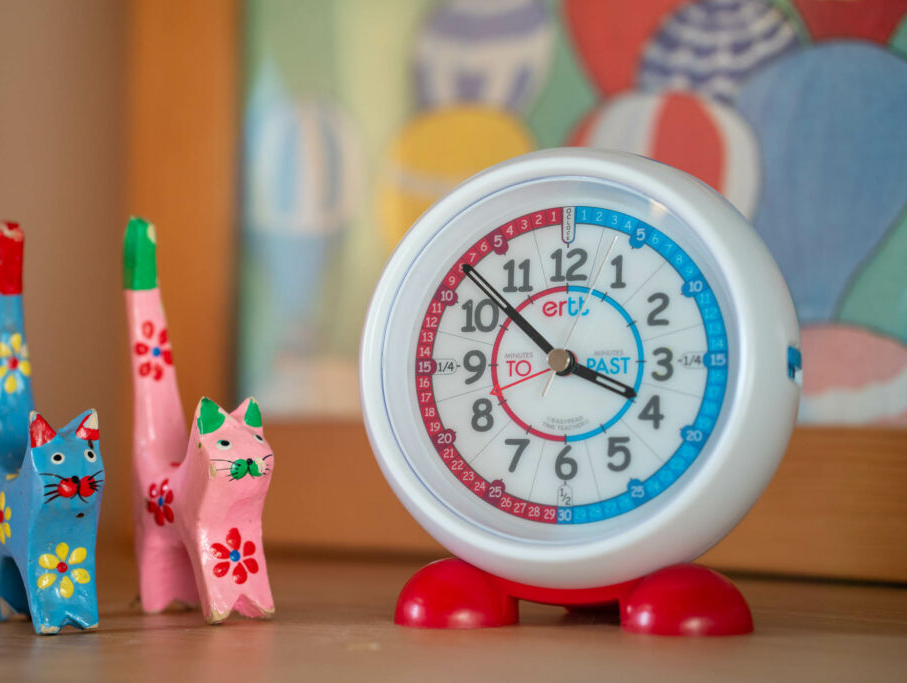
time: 3:52
